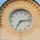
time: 7:13
